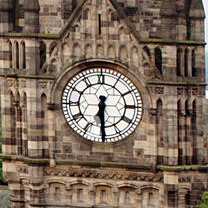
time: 6:29
